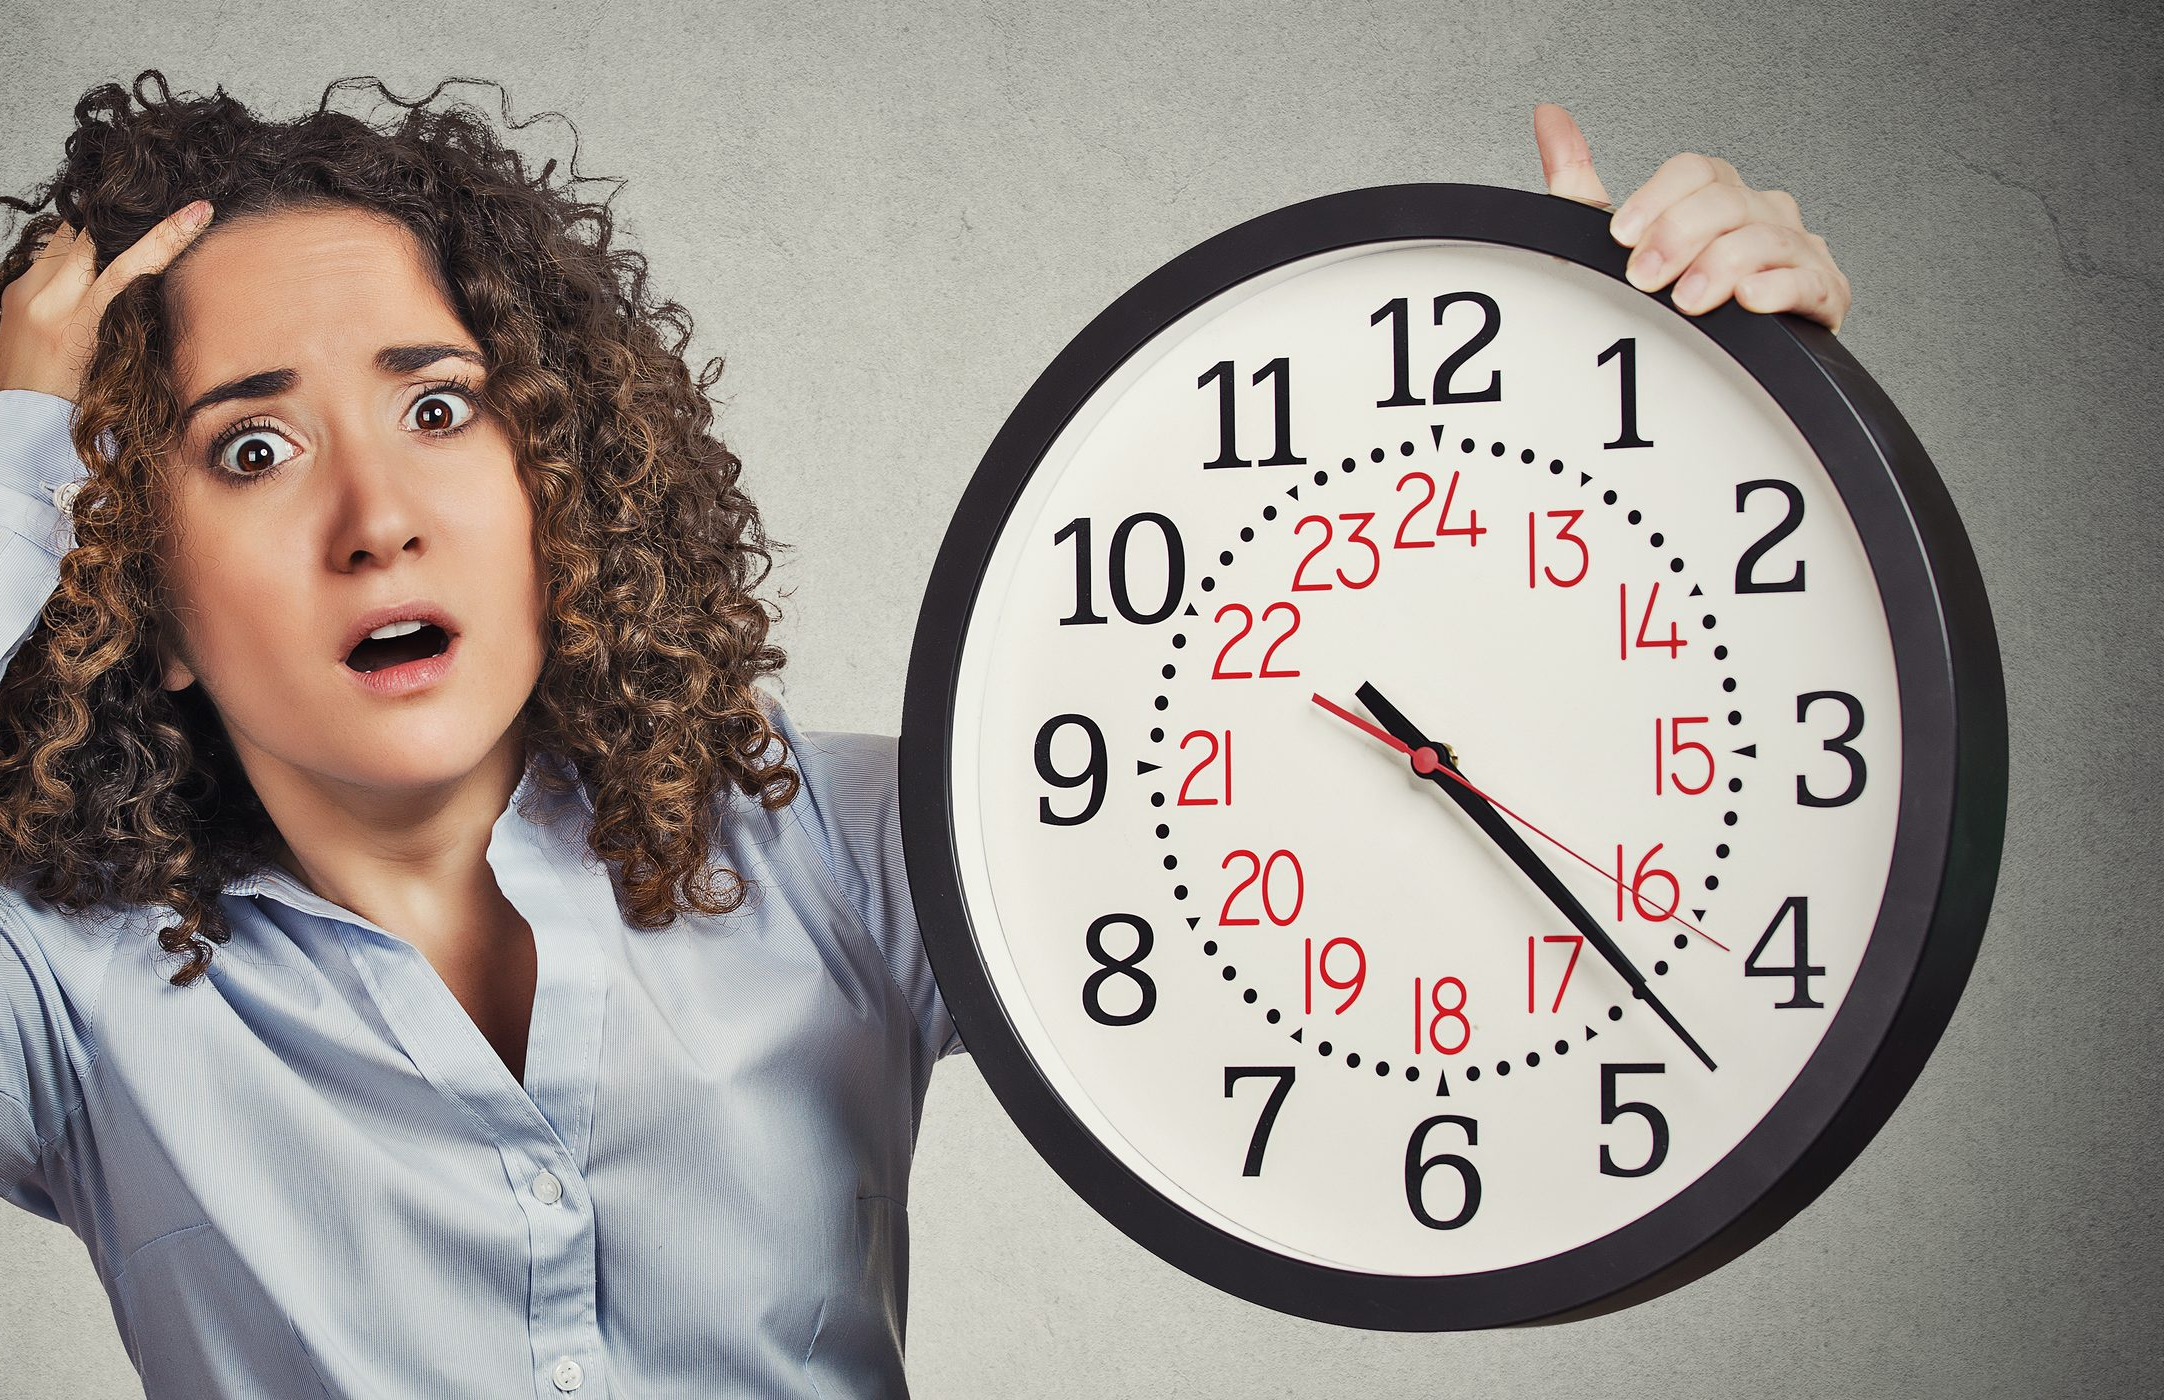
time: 4:22
